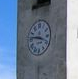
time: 3:46
